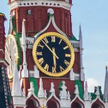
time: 5:52
